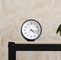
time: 4:17
